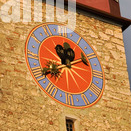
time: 10:40
